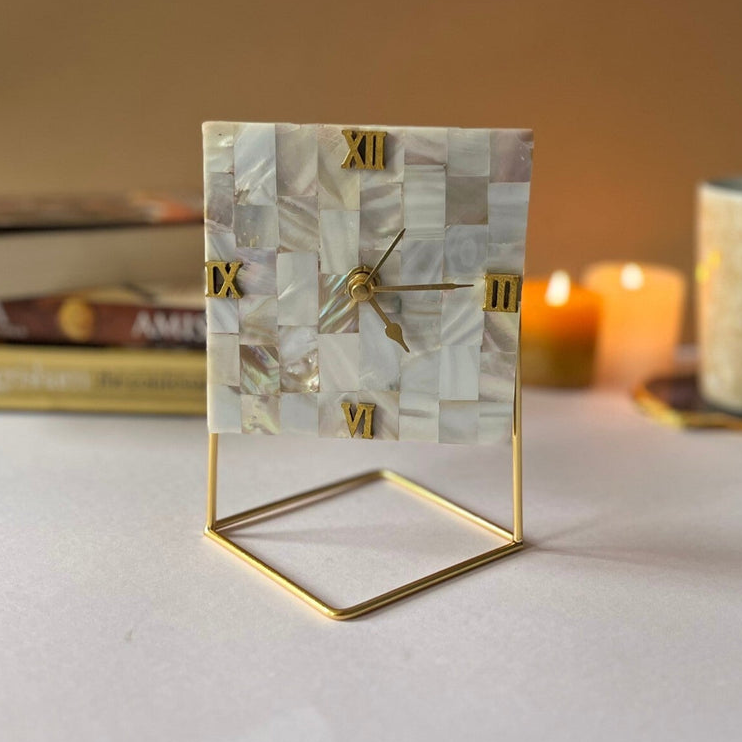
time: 1:14
